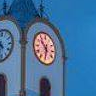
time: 10:32
